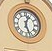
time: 12:26
